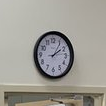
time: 2:05
